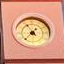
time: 4:36
